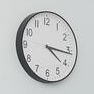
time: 4:16
